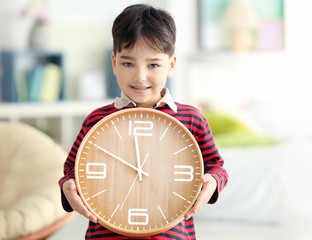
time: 11:49
